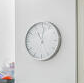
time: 11:01
